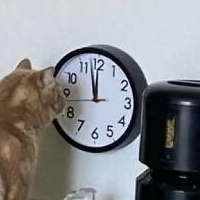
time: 11:57
